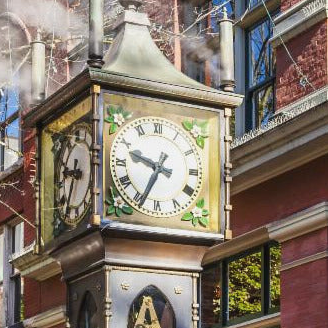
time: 9:34
